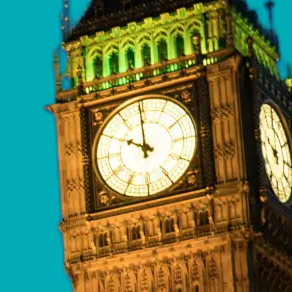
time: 9:59
